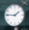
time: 1:46
